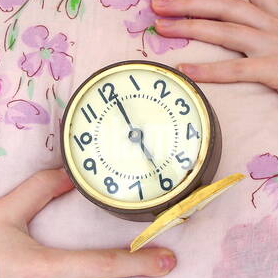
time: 11:25
